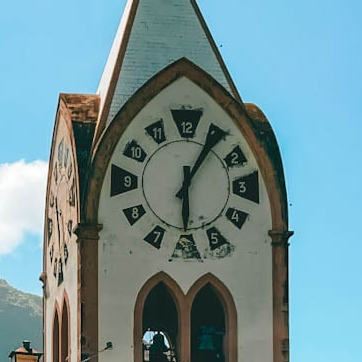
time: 6:05
